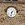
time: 1:32
